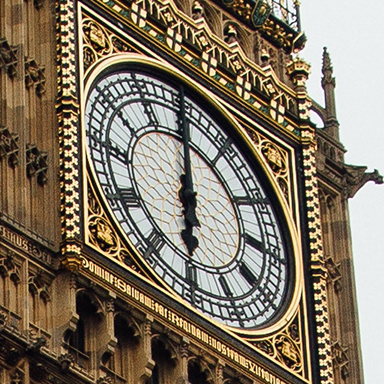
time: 6:00
